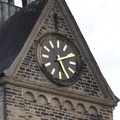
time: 5:10
